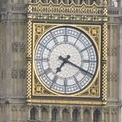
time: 7:18
